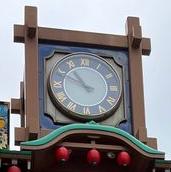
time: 10:49
